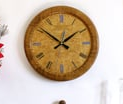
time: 1:51
